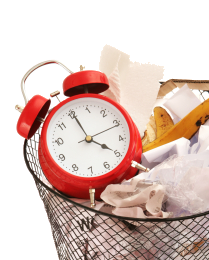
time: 3:55
